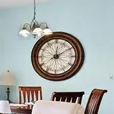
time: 12:09
